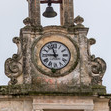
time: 8:57
